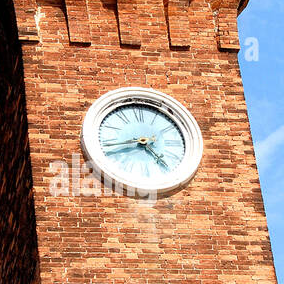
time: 4:42
